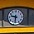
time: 9:31
